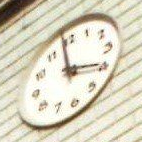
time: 3:58
